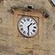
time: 1:29
